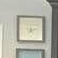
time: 7:12
